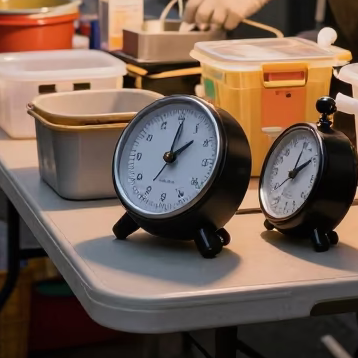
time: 2:01
